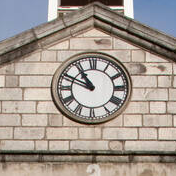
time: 10:49
